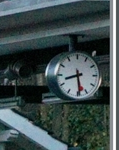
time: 8:28
